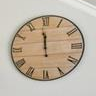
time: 11:58
